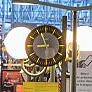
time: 8:56
